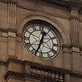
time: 12:33
